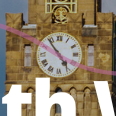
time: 4:53
